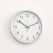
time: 10:11
